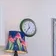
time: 11:35
